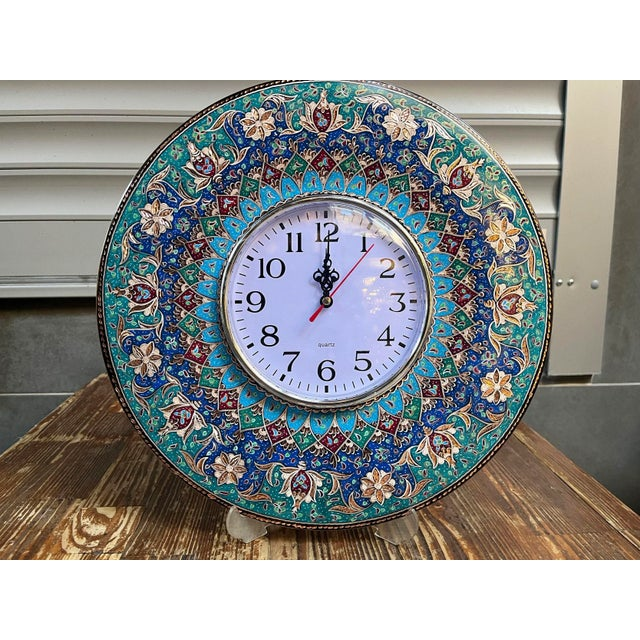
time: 12:00
